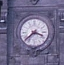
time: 3:37
